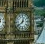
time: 12:38
